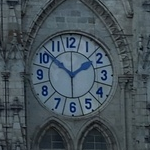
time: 1:51
